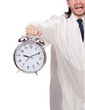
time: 9:10
